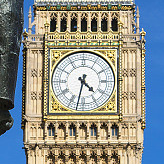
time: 4:32
